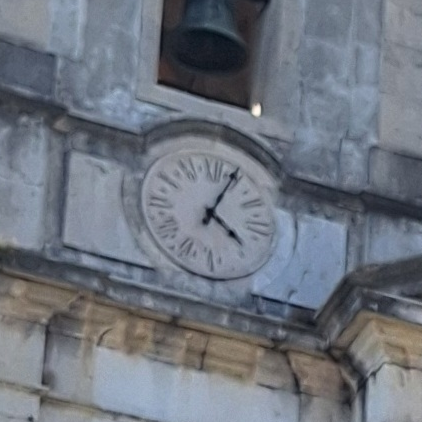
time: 4:04
